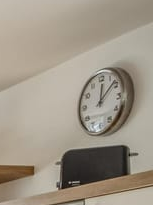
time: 12:07
